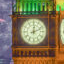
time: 12:11
